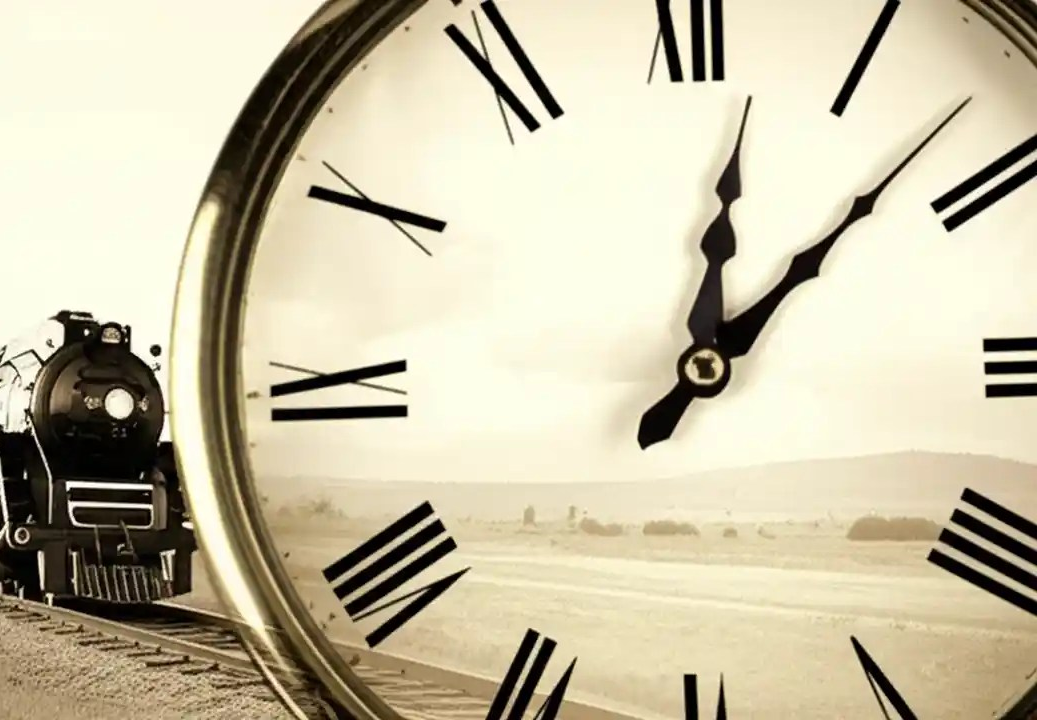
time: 12:07
